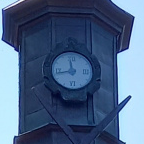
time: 11:43
